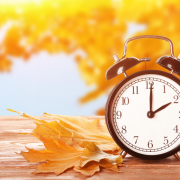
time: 2:00
